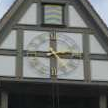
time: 2:45
